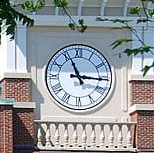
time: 11:15
